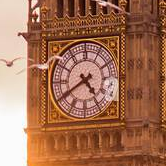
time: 4:40
